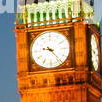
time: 9:23
